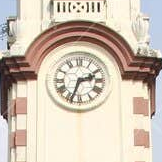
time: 2:33
